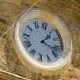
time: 1:18
